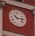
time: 10:13
